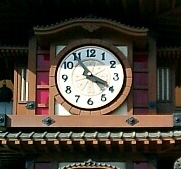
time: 3:54
